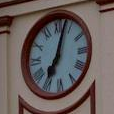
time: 7:02
